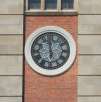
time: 11:59
